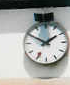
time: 1:50
